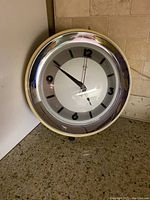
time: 9:49
